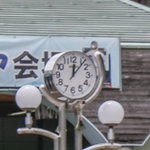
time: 12:06
